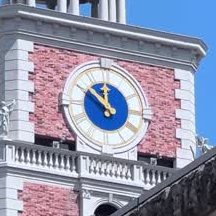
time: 11:51
